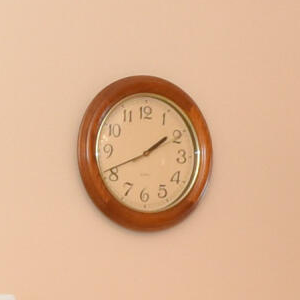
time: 1:41
